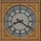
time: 8:20
